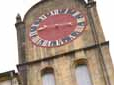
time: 8:14
